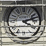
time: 4:12
